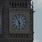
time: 5:55
